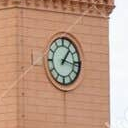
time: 1:16
